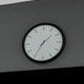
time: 1:34
